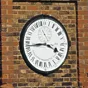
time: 3:44
